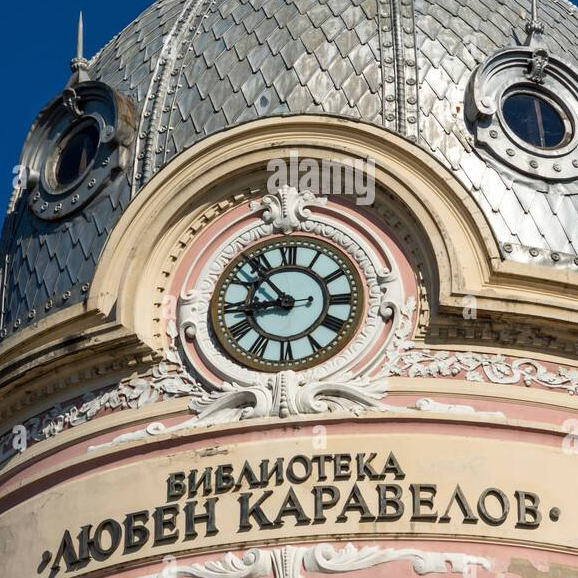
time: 8:53
